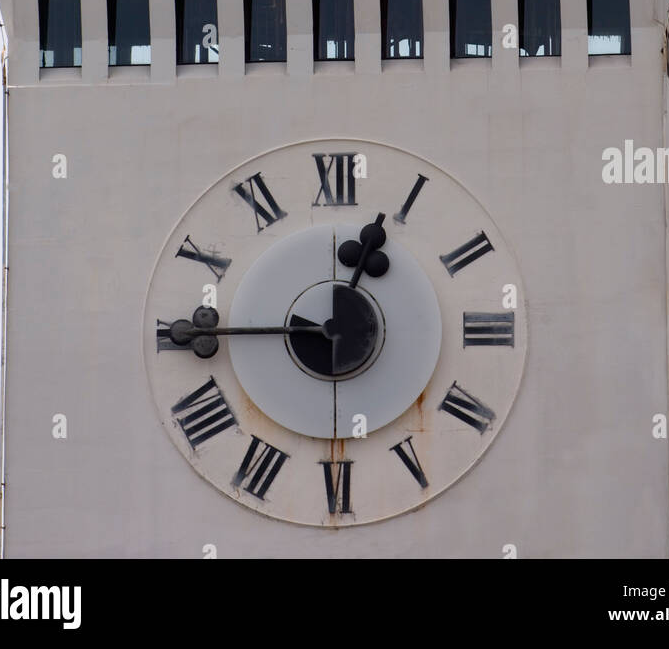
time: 12:45
